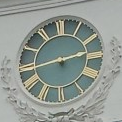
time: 2:43
